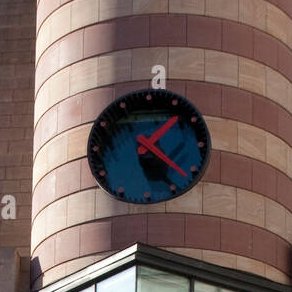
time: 1:24
